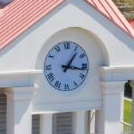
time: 1:16
